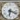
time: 6:18
